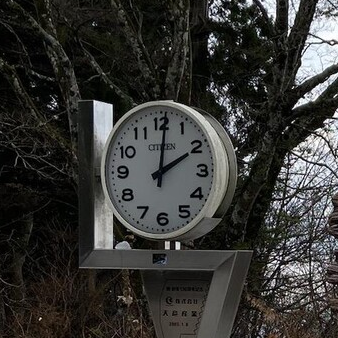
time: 2:01
